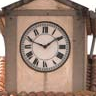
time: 1:48
